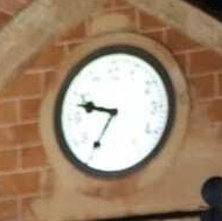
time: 9:35
